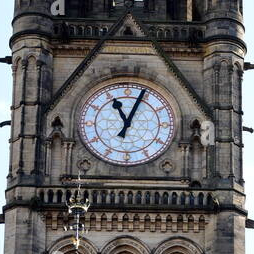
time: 11:03
